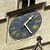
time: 1:24
